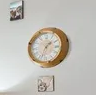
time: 1:33
